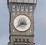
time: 3:39
